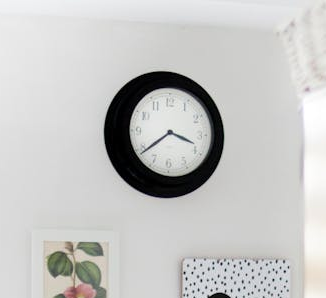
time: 3:39
